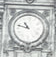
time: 10:47
